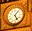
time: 5:06
